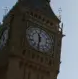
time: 11:32
